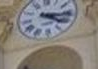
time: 4:16
